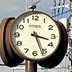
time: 3:26
